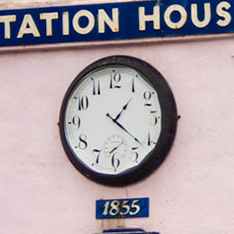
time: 1:21
